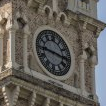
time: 9:16
